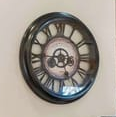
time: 5:45
